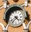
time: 4:37
